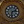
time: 2:32
